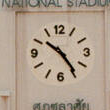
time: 10:24
